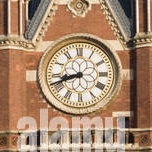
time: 8:41
